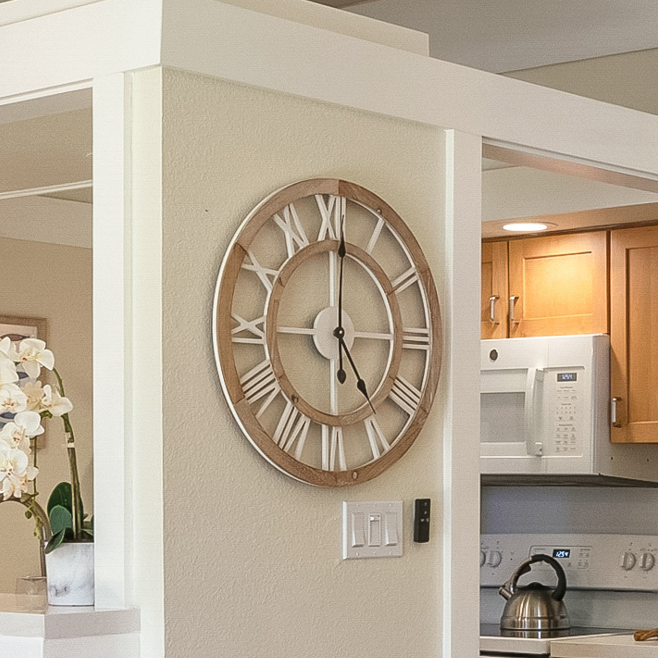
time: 5:00
